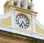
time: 4:33
